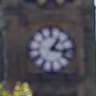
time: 1:17
